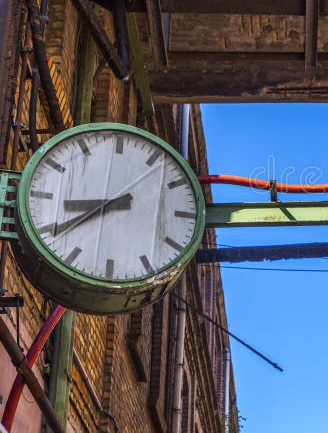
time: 8:39
